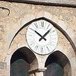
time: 10:07
